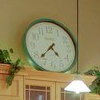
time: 4:37
